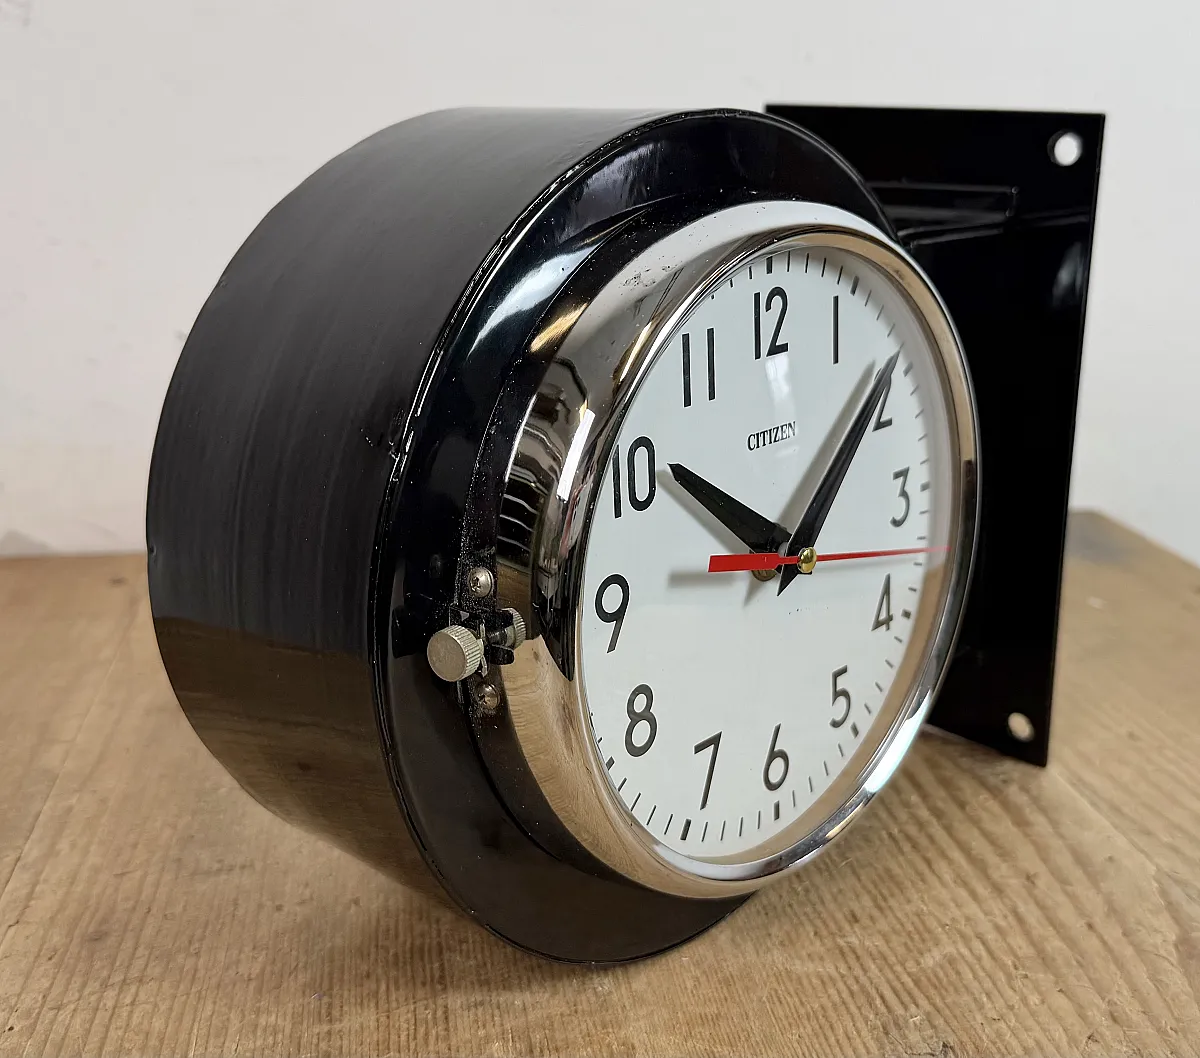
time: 10:08
